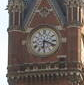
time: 6:18
